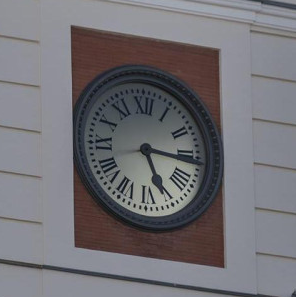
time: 5:15
